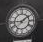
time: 1:45
